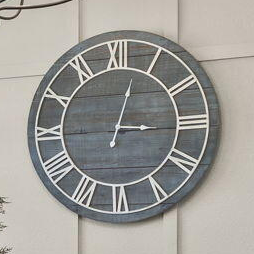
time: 3:02
